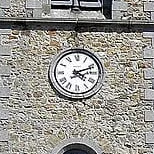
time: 4:11
